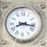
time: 8:16
